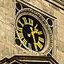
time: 1:28
